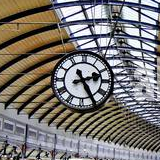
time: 2:25
